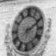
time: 2:10
